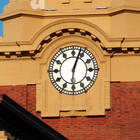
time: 6:03
